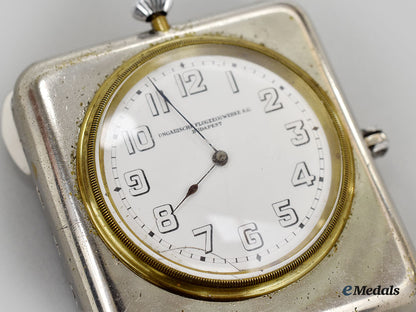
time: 7:56
